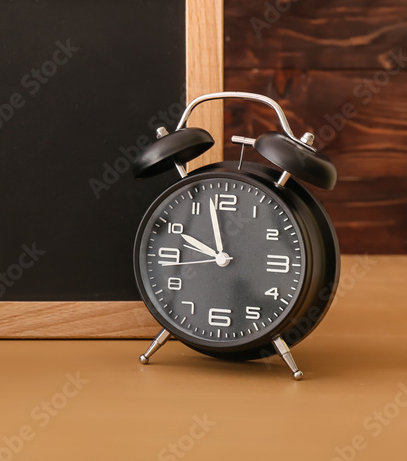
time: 9:57
